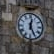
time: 12:25
